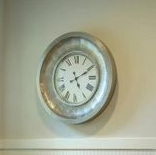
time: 5:10
